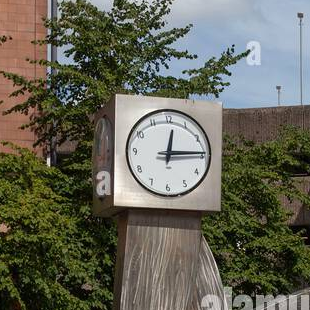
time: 12:14
